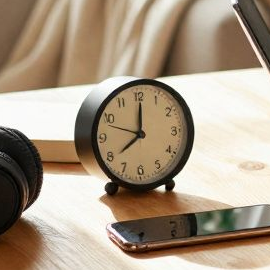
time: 12:00
